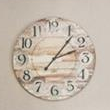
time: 2:06
